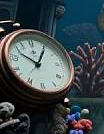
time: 10:05
